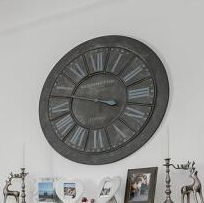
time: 3:47
